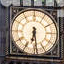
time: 6:28
